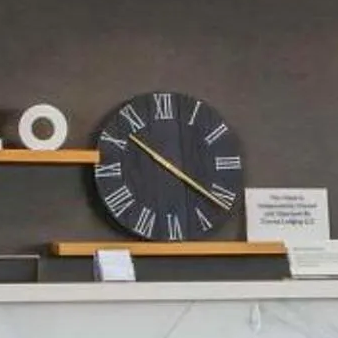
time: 10:21
